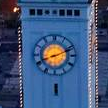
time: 8:11
